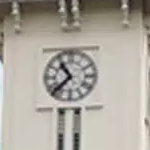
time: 10:37
